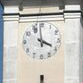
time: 3:58
